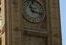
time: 11:17
